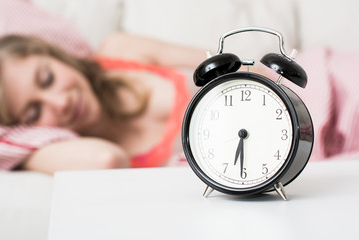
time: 6:30
